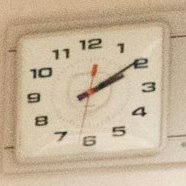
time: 2:09
